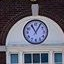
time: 11:05
